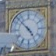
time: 4:52
